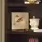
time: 8:07
